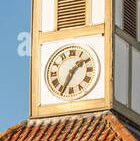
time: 1:34
